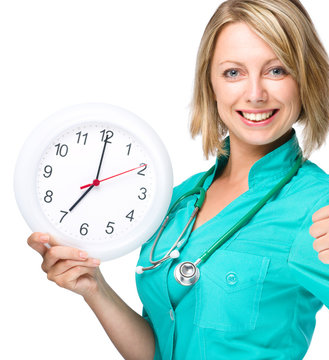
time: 7:00
